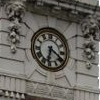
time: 6:20
